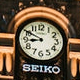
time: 8:50
